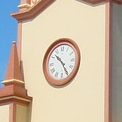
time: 10:24
